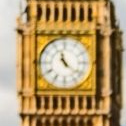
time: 11:21
